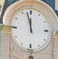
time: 11:57
